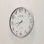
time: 7:43
